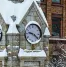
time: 9:20
